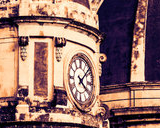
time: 4:07
